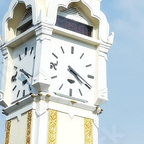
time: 4:19
